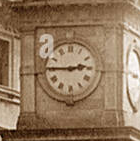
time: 2:45
